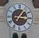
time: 1:16
